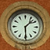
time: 1:29
